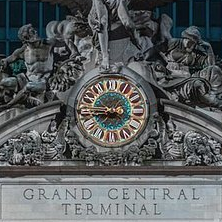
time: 8:45
